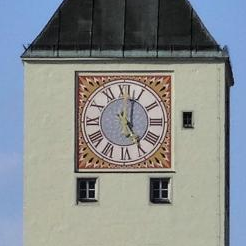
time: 5:02
